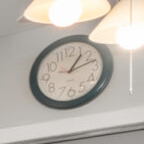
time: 1:12
